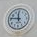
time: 11:46
